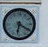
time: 6:20
